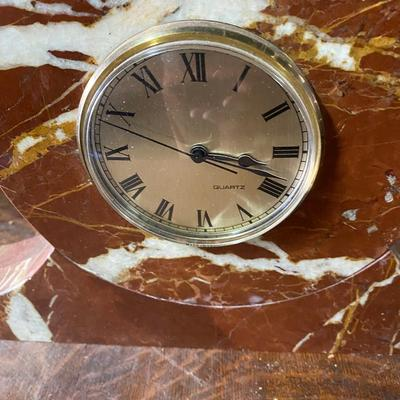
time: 3:18
